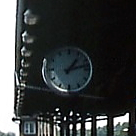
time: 1:12
